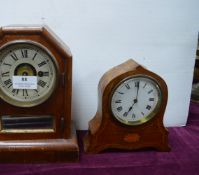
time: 7:01
